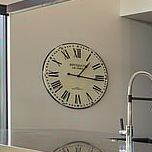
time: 1:16
